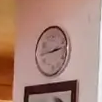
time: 2:44
